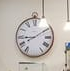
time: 9:10
